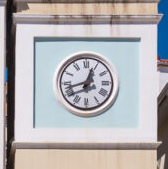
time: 12:42
